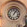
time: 1:06
